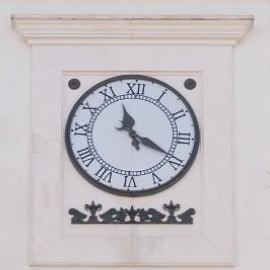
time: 11:19
